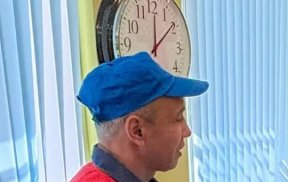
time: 12:08
